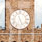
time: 5:26
